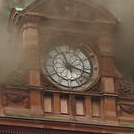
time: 11:17
